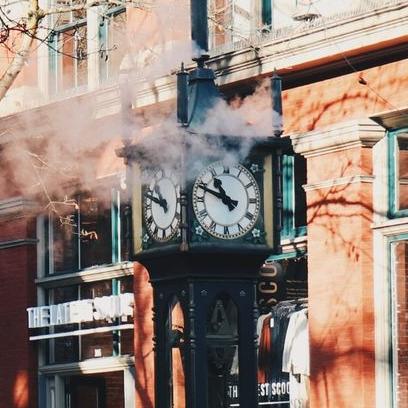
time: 10:48
